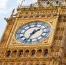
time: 1:33
